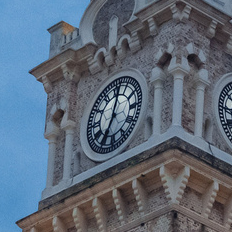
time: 7:01
